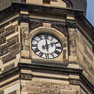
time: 1:59
